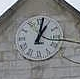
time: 1:02
